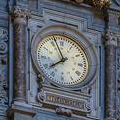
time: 7:56
